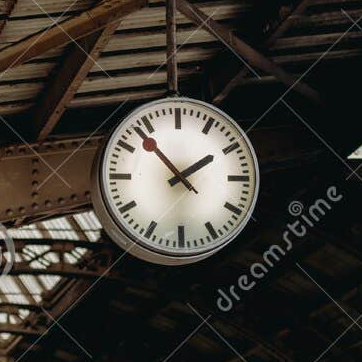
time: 1:53
